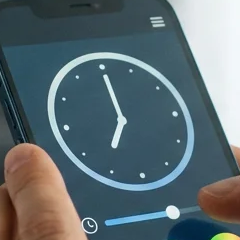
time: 7:00
